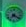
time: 7:20
